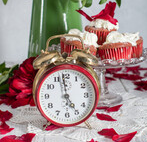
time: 4:58
